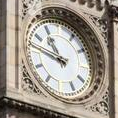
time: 10:46
